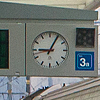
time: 9:04
